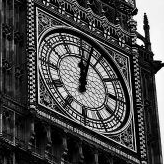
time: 12:02
